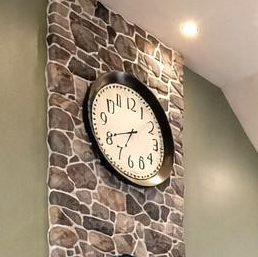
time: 6:40
